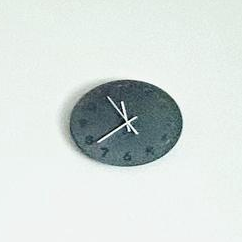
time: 11:38
